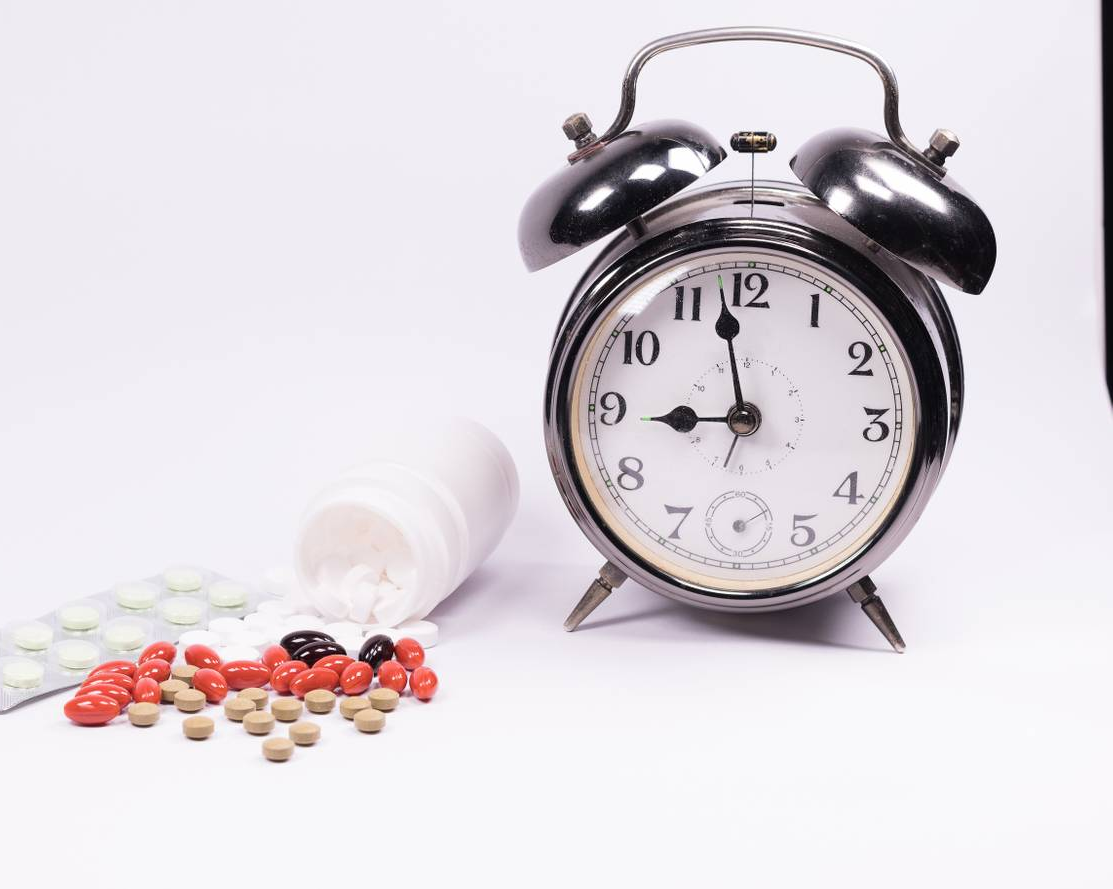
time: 8:58
